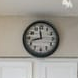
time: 11:42
